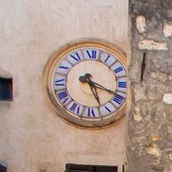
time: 5:18
